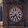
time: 7:25
